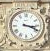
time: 3:18
